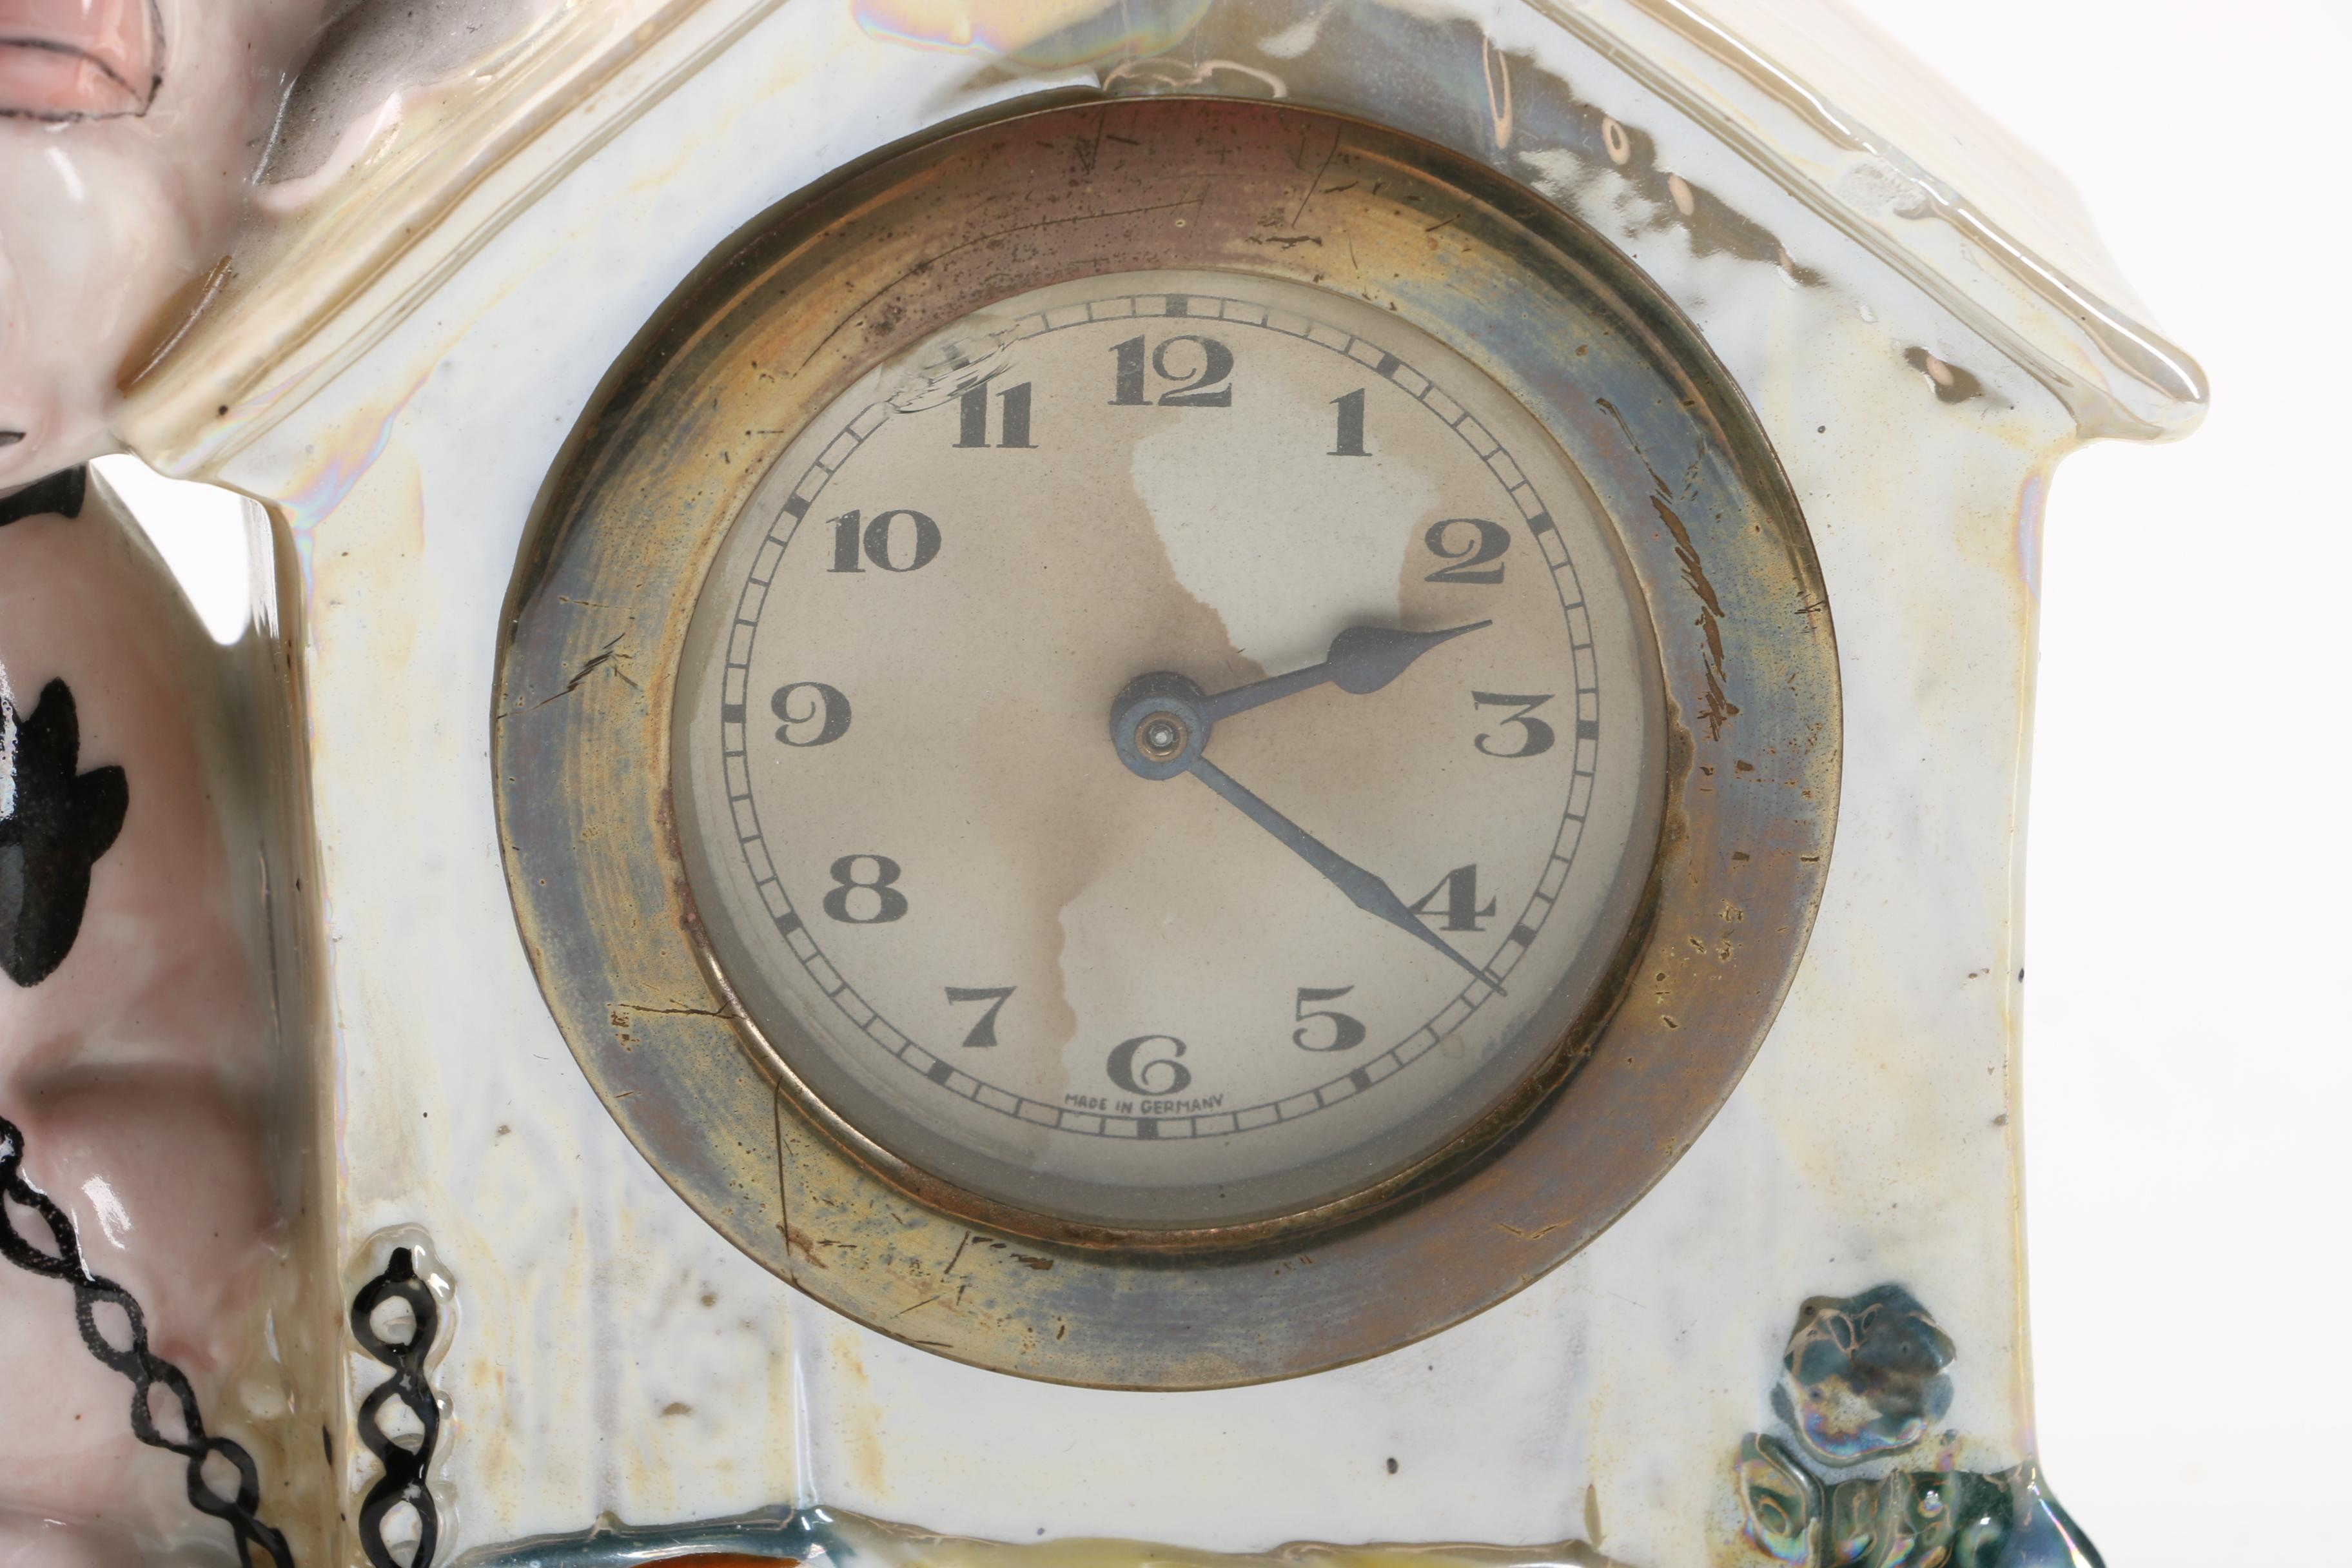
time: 2:21
